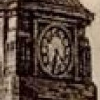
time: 6:32
